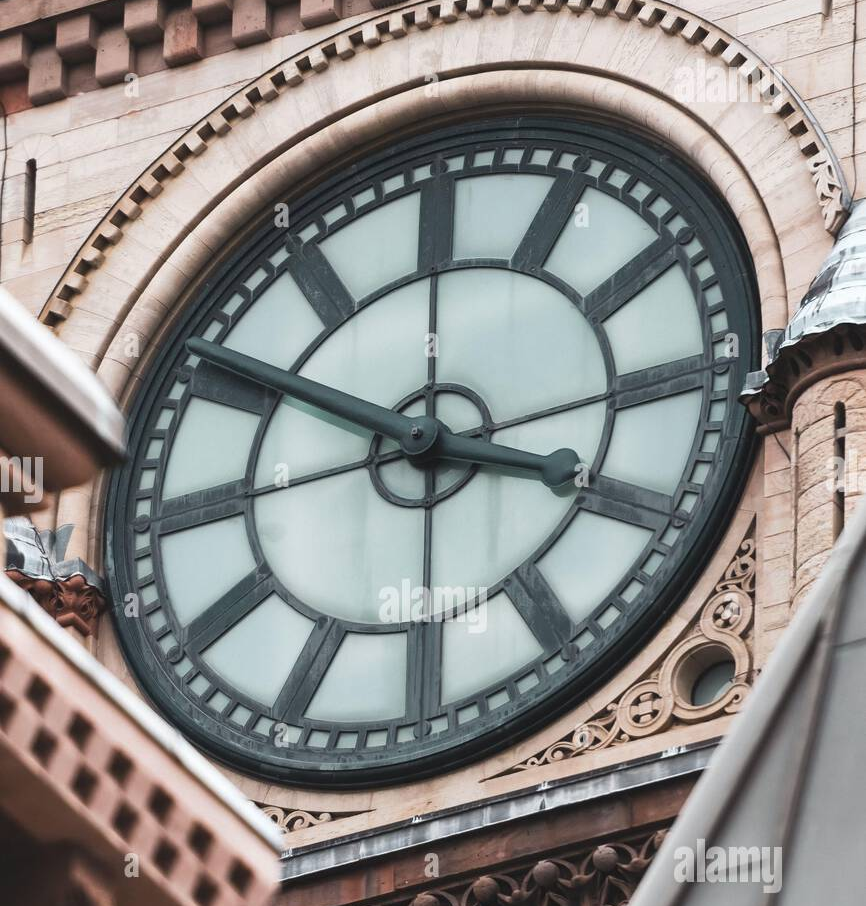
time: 3:50
